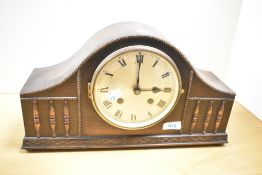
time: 3:00
